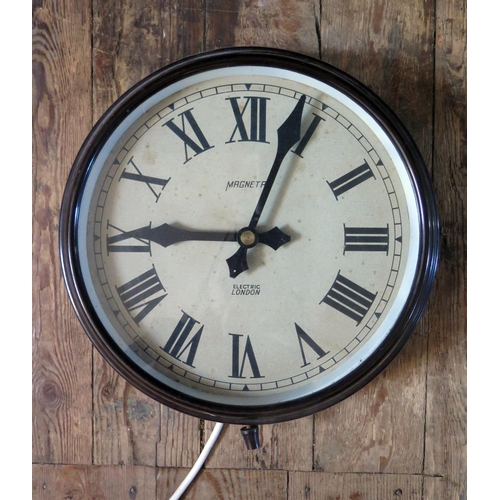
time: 9:03
